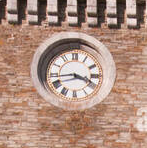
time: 3:43
